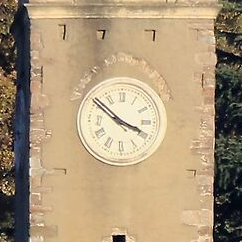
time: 3:51
